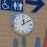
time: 12:09
